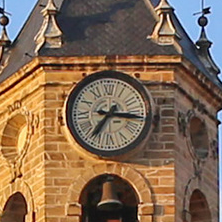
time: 7:16
